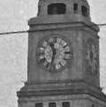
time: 11:32
